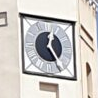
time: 12:24
